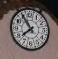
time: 7:54
